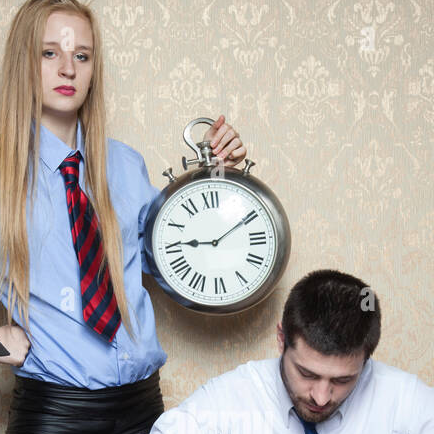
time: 9:10
